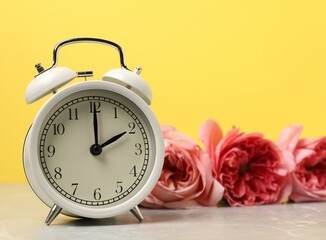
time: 2:00
